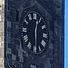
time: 12:30
